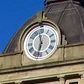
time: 11:32
